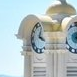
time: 4:02
